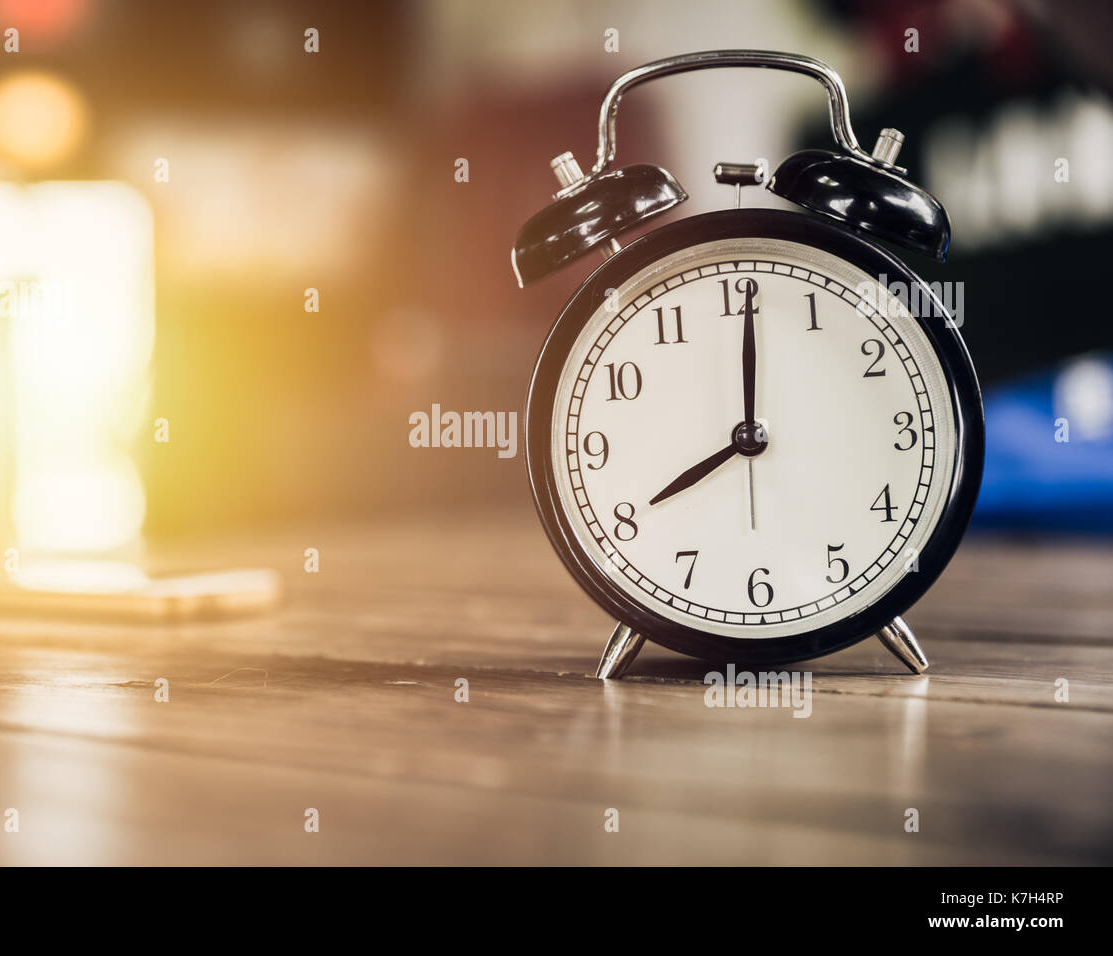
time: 8:01
